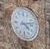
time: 4:12
